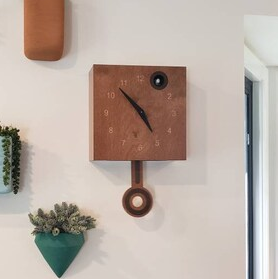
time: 4:52
